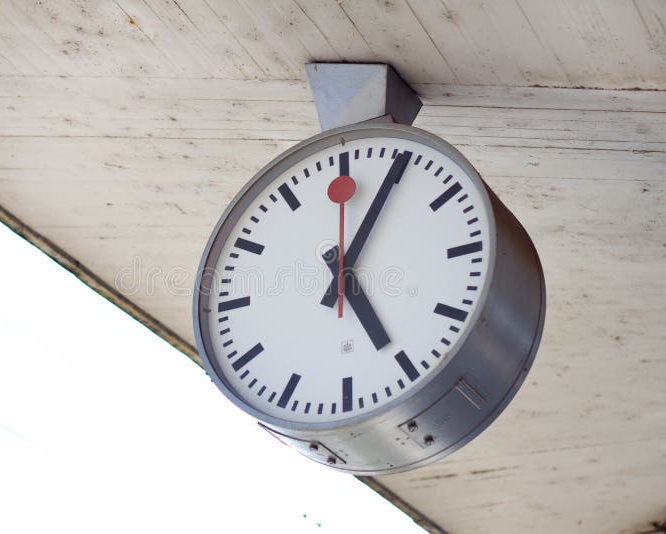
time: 5:05
